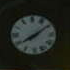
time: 8:09
